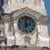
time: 1:59
